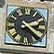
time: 2:21
